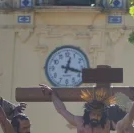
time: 12:17
